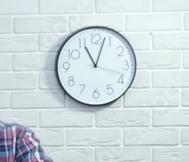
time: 11:03
